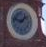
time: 1:46
